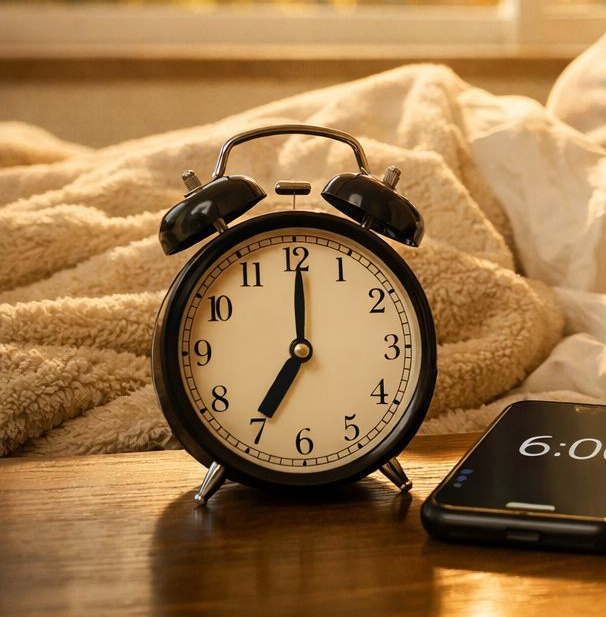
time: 7:00
